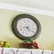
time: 4:42
